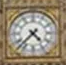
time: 4:37
